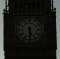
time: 5:30
